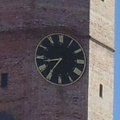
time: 8:35
